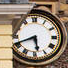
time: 5:41
